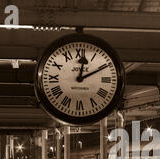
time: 12:10
